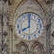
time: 7:59
